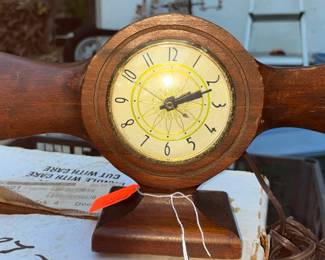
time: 2:11
